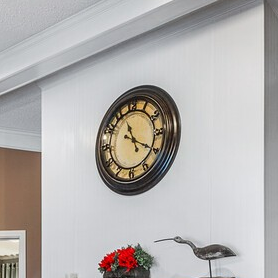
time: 11:19
